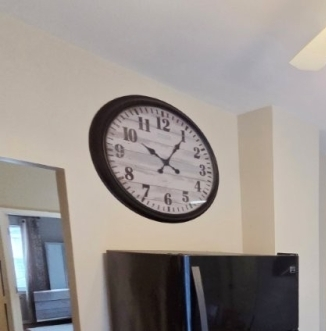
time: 10:05
